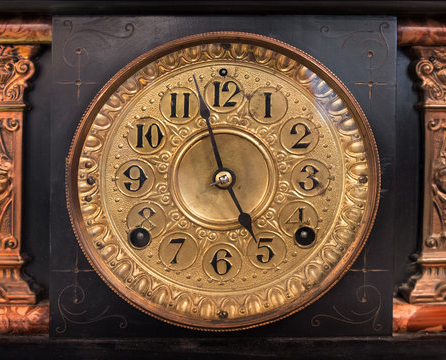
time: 4:57
